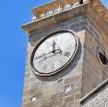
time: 11:43
